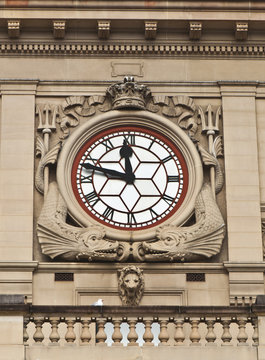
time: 11:47
